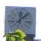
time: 12:07
